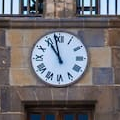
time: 10:58
